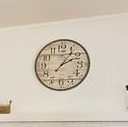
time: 2:06
